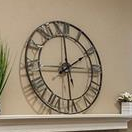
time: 2:00
